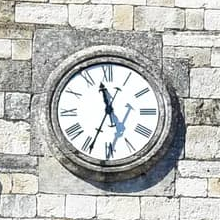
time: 11:34
